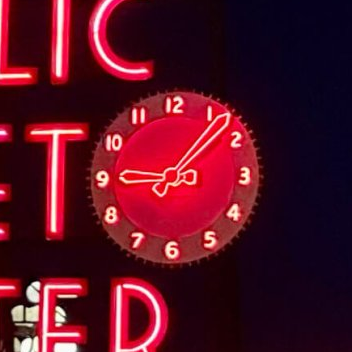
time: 9:07
